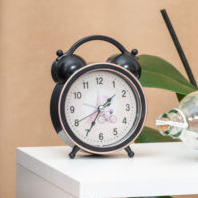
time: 1:34
